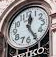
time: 12:24
